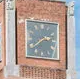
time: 2:38
